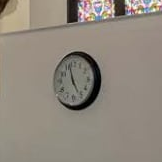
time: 4:57
